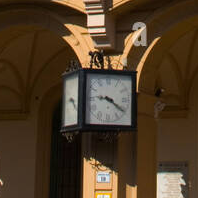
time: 9:20
